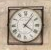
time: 4:06
